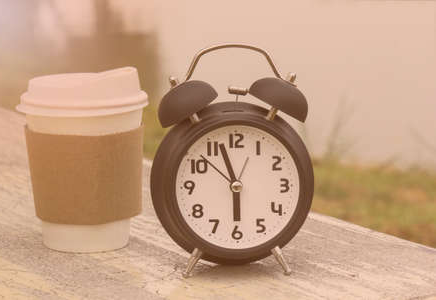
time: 5:57
